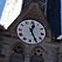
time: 12:25
